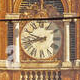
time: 9:42
